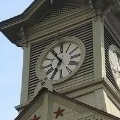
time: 6:54
